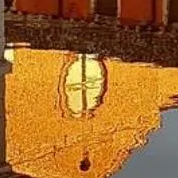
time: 5:59
